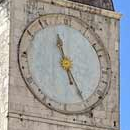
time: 11:25
